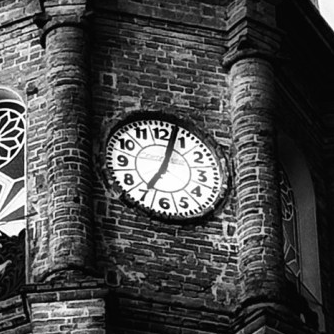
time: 7:03
